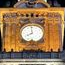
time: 7:59
